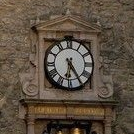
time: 6:24
